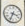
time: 3:33
